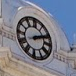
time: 2:11
